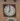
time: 7:00
